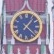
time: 1:22
